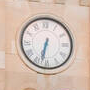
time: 6:32
